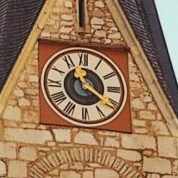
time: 11:20
